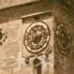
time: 8:12
